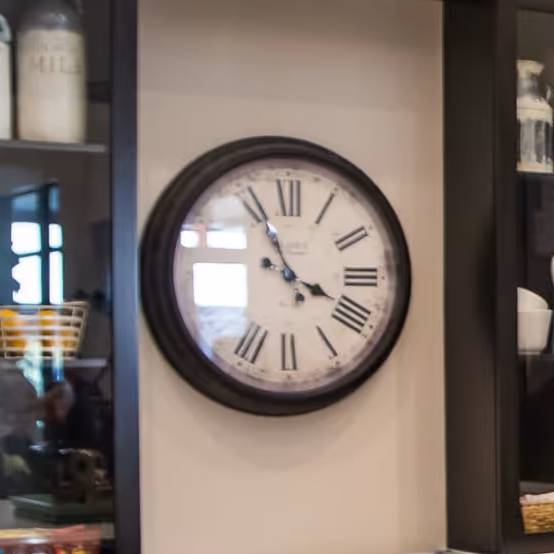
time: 3:56
